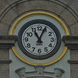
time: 11:04
